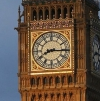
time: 8:15
